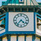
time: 4:36
